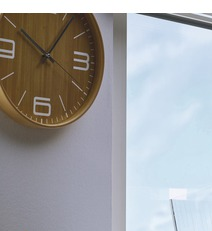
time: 10:06
